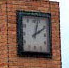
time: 2:02
